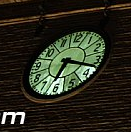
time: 6:17
